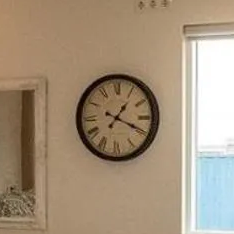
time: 1:18
